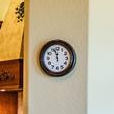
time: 11:56
